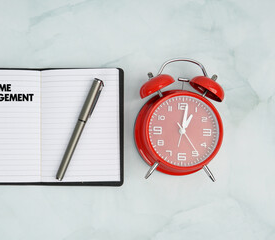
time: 1:01
